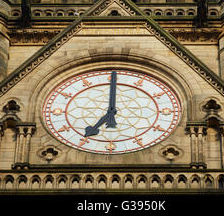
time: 7:00
